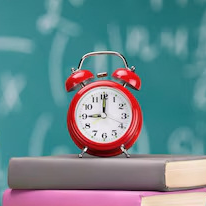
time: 9:00
